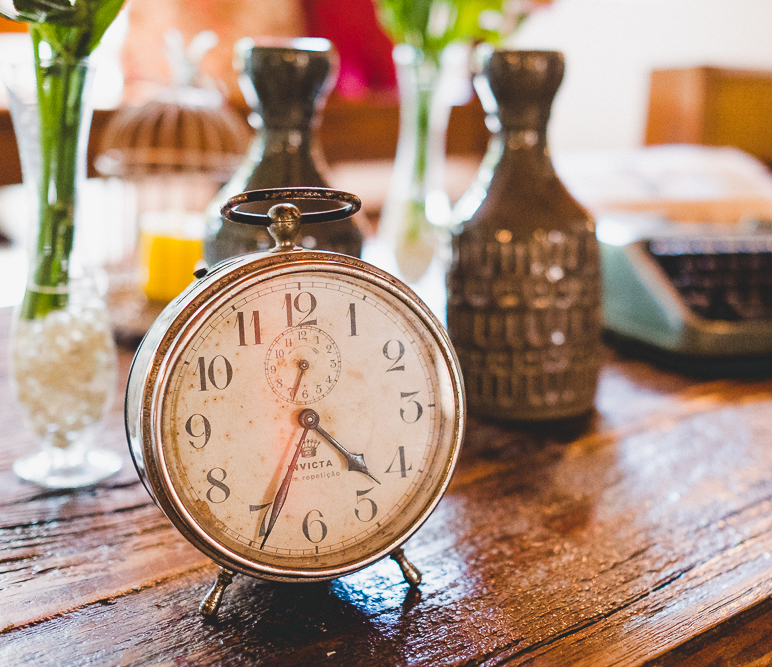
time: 4:34
